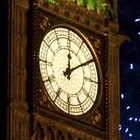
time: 12:09
